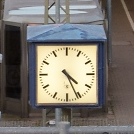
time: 4:26
